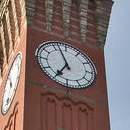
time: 6:56
